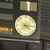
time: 4:14
